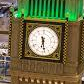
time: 6:28
